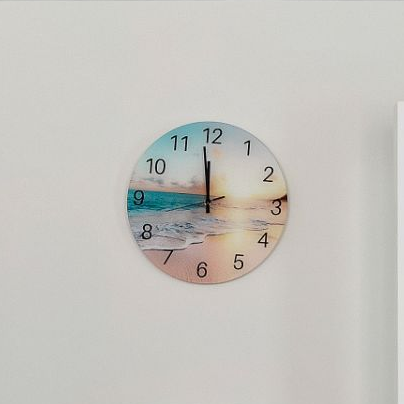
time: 11:58
